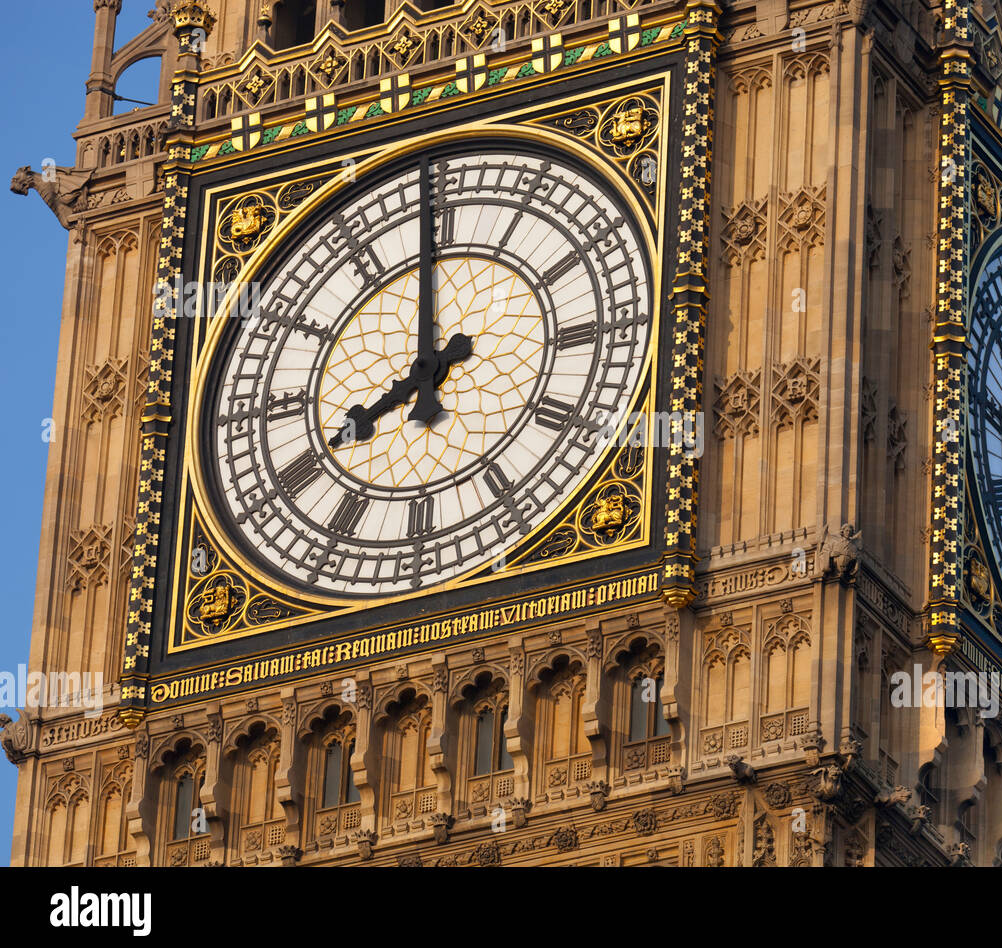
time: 7:59
